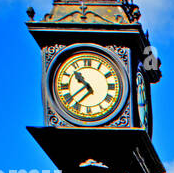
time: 10:37
